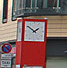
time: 1:51
